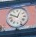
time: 12:48
